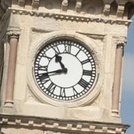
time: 10:41
